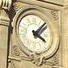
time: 4:07
